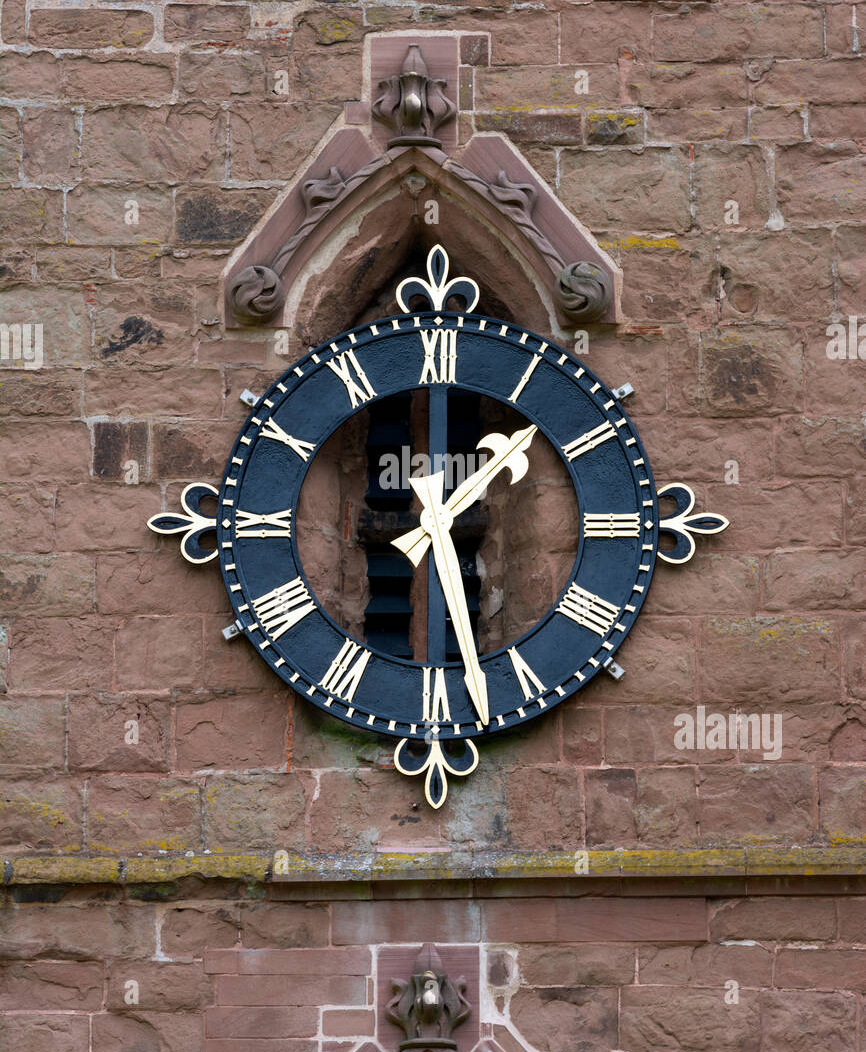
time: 1:28
